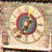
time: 6:36
